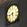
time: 8:27
